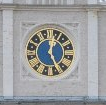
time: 12:24
